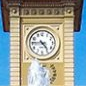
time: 4:45
